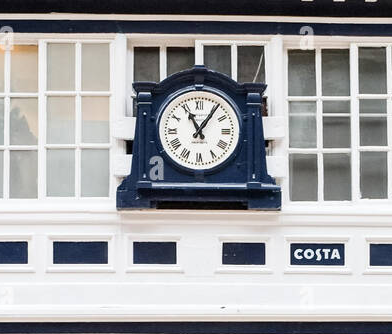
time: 11:06
